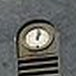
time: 1:01
